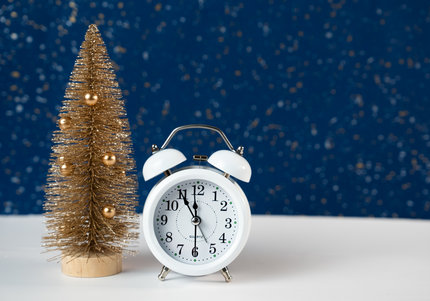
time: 10:58
